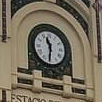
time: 11:31
